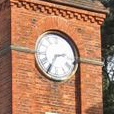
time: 2:35
